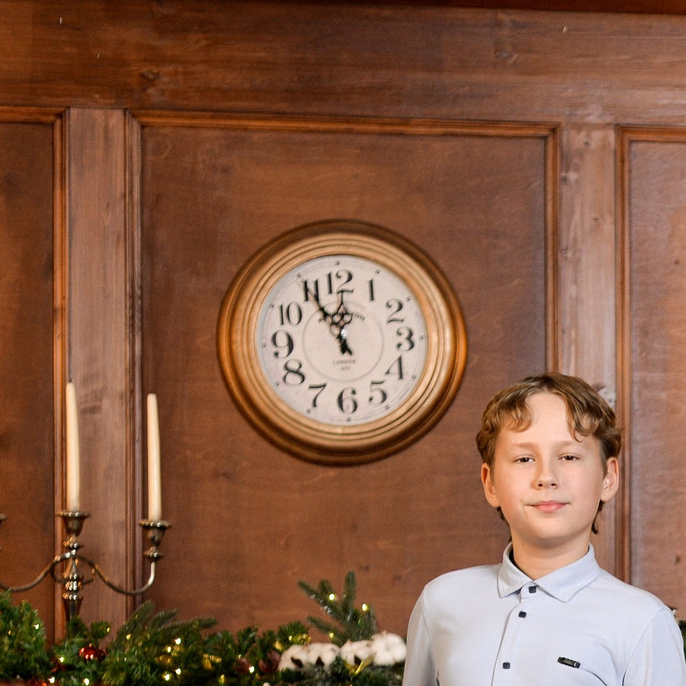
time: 11:00
